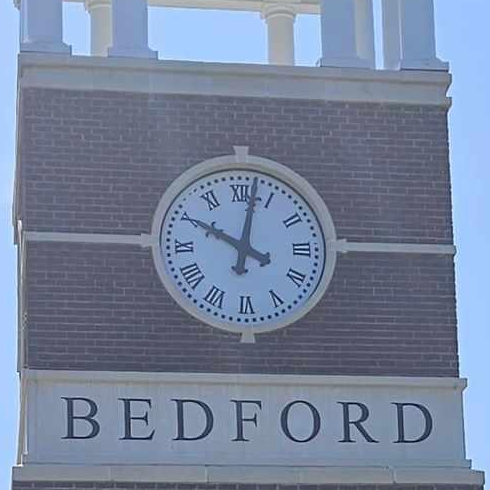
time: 10:02
